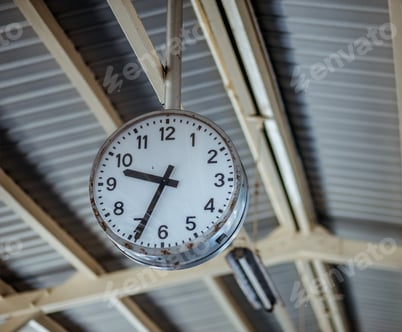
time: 9:34
